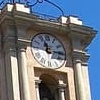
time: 11:15
